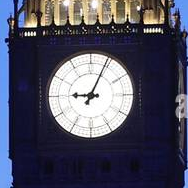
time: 9:04
